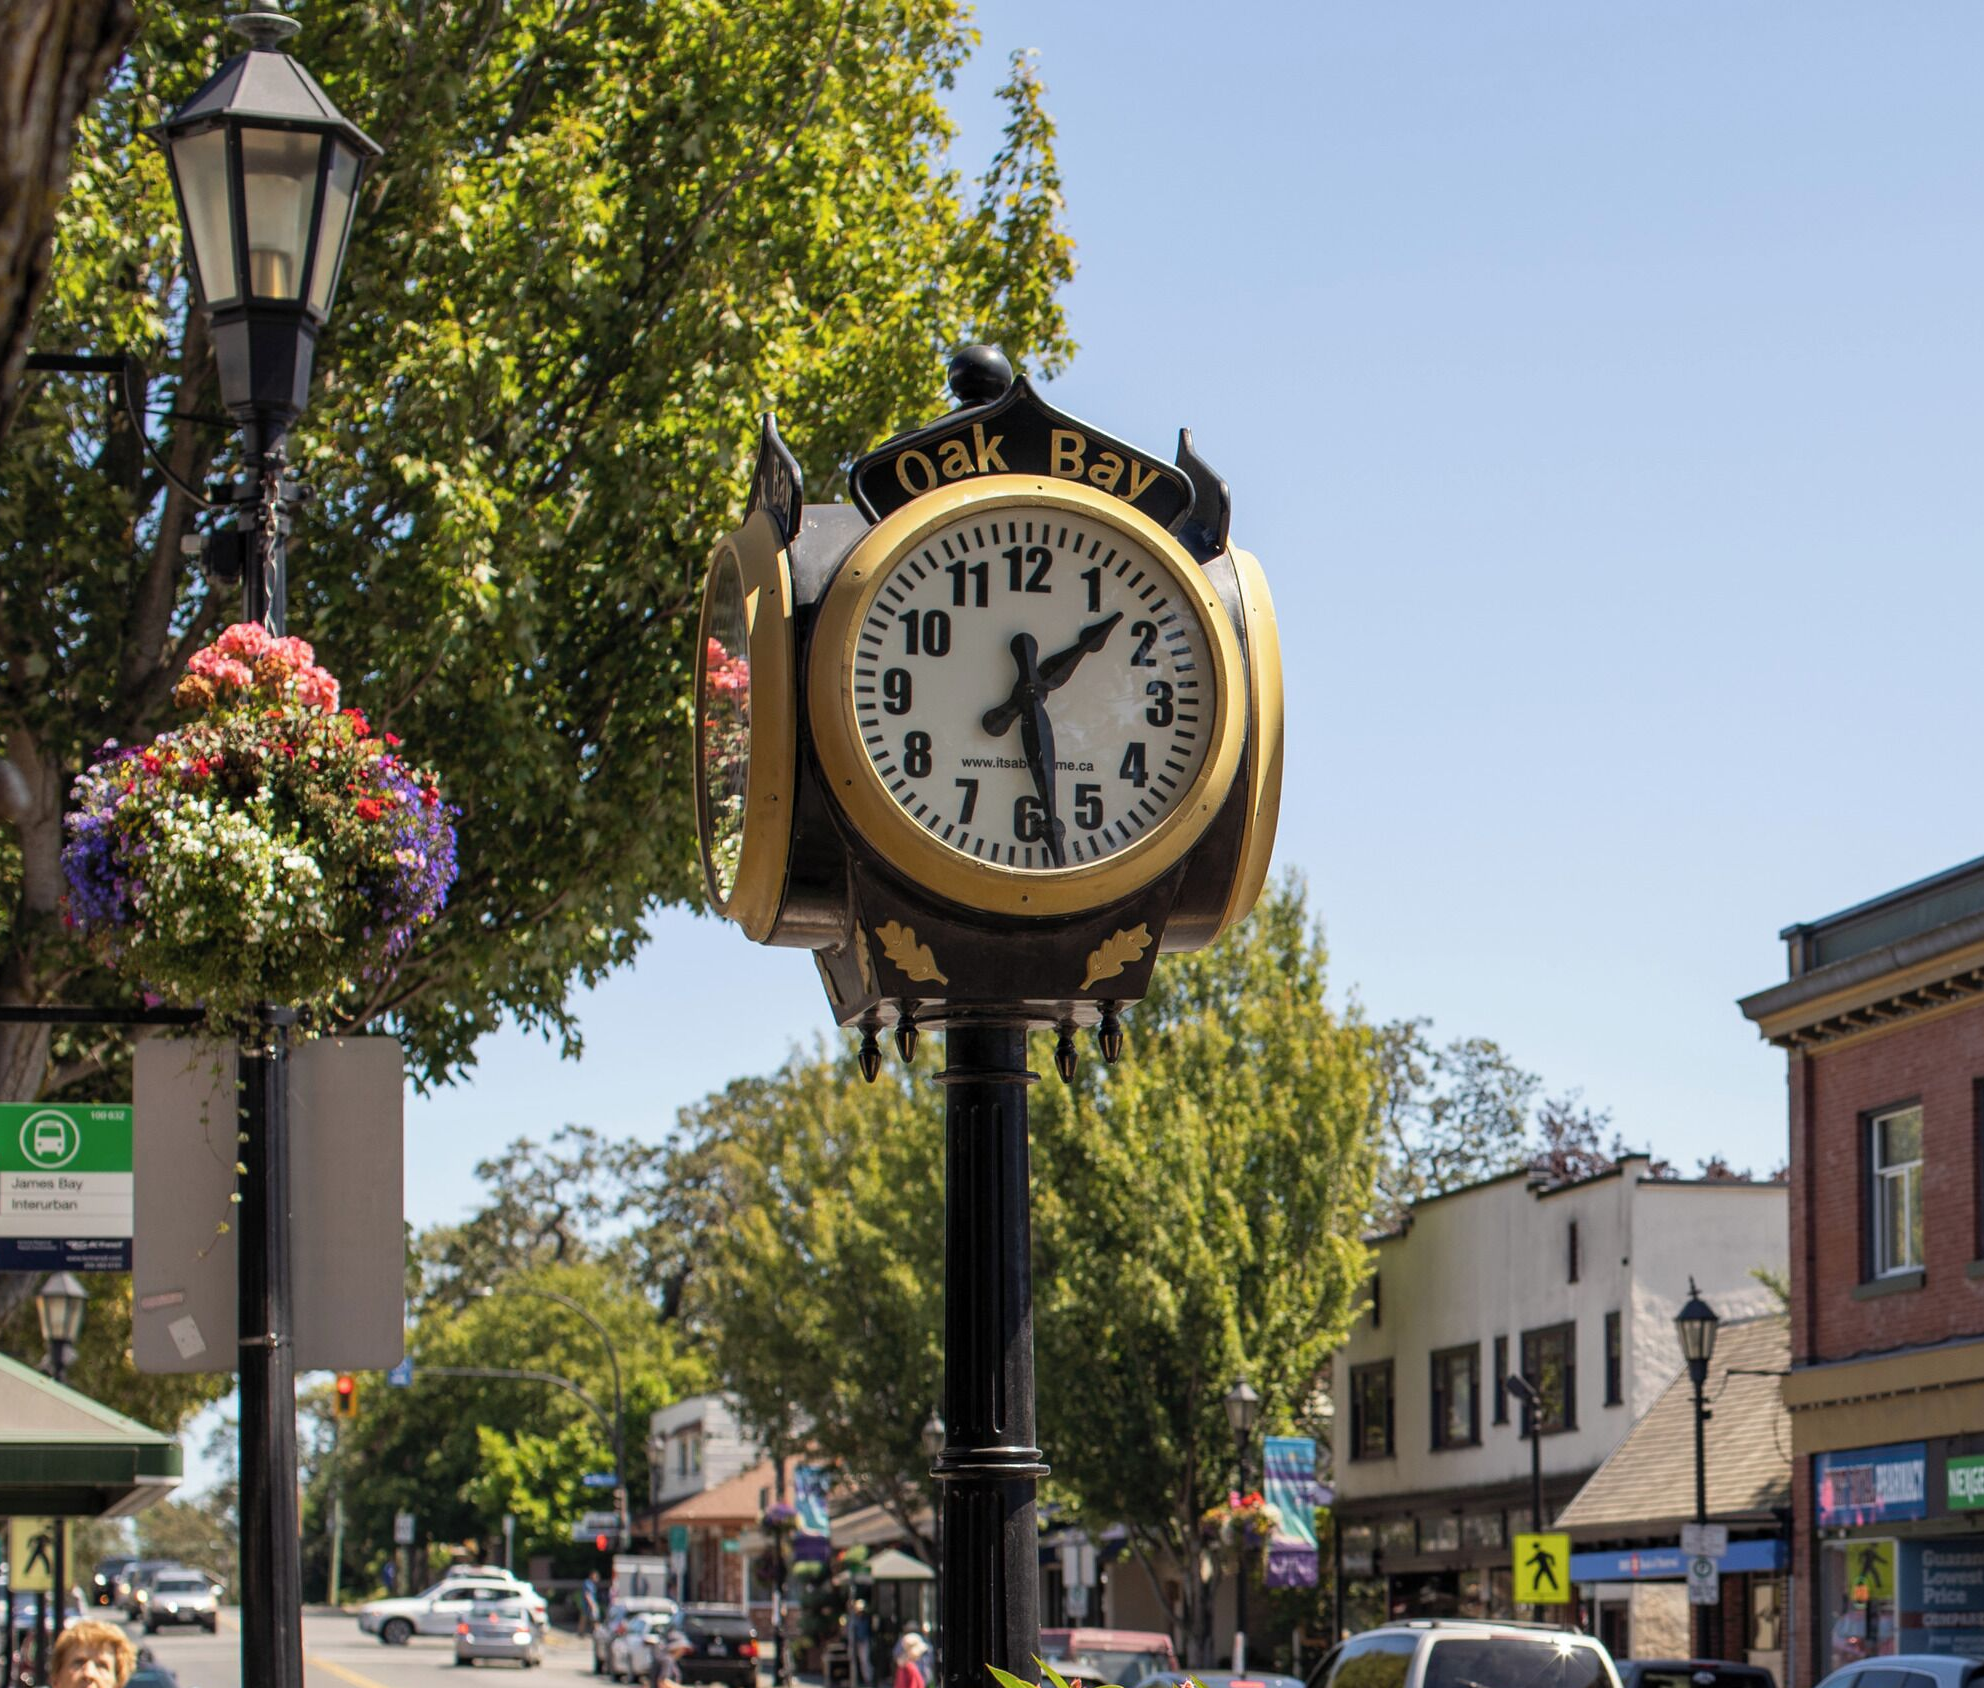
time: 1:28
